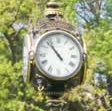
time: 10:53
